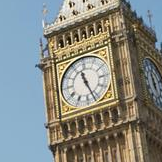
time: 11:26
